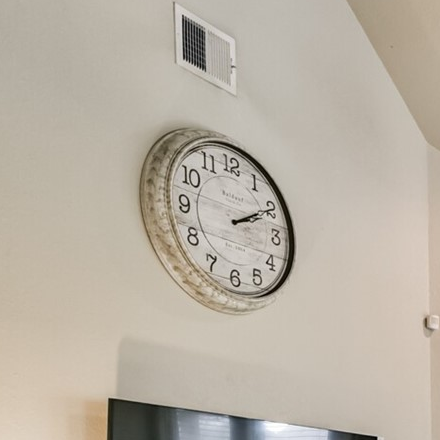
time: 2:10
